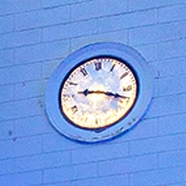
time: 9:18
